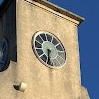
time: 6:32
